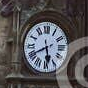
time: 5:40
